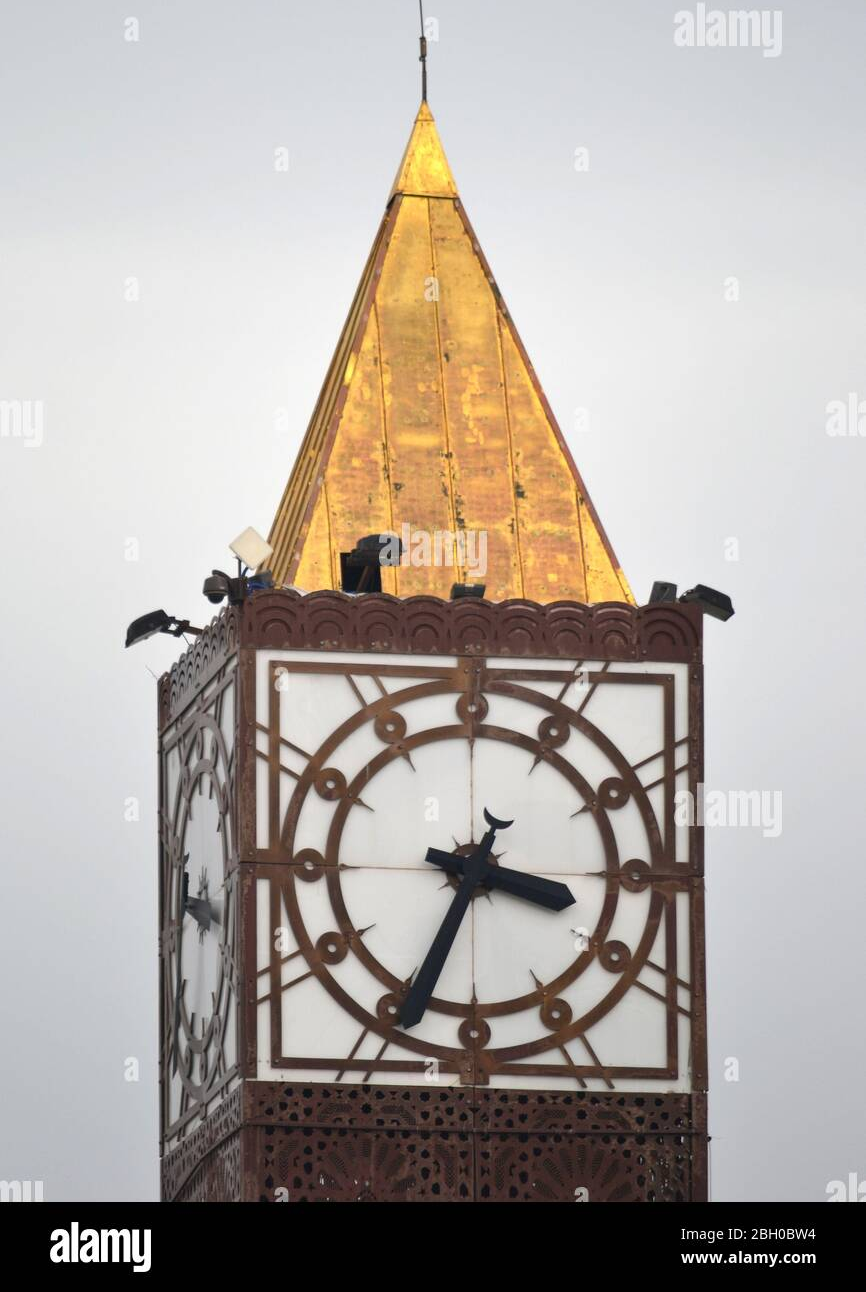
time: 3:34
